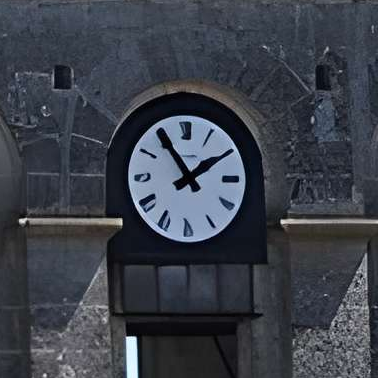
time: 1:54
